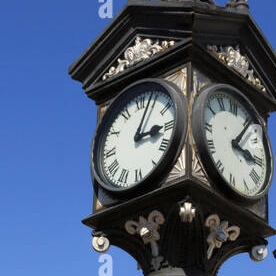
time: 3:04
